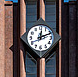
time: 12:11
